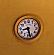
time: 8:27
